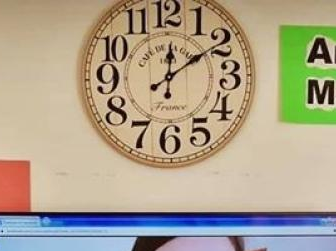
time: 12:09
